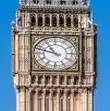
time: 10:47
